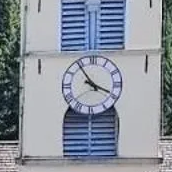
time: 3:54
